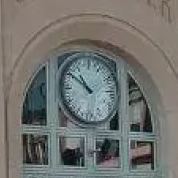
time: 10:50
